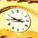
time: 9:45
